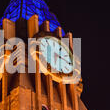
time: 12:19
